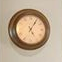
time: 5:05
